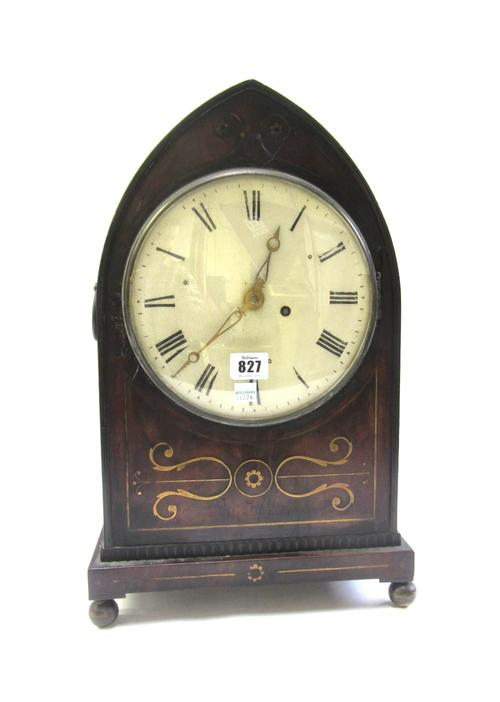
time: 12:37
